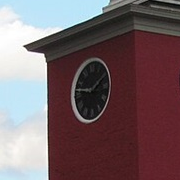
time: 9:10
